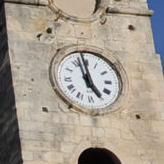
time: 4:57
